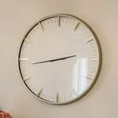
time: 2:43
